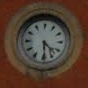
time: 4:29
